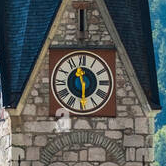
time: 11:29
